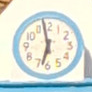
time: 11:32
